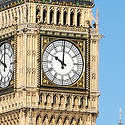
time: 10:00
